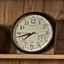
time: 7:42
